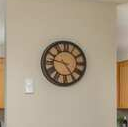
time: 4:46
